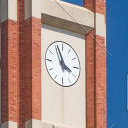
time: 3:56
